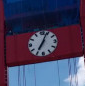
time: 7:04
